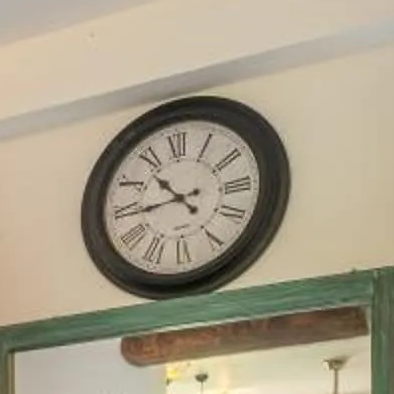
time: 10:44
